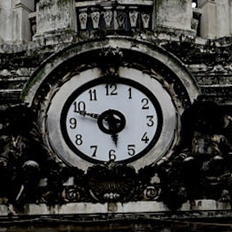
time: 5:48
